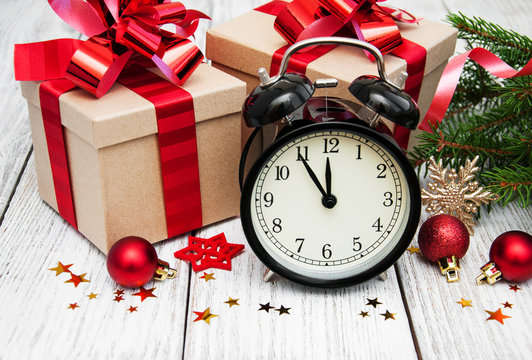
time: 11:54
